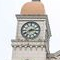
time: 2:40
